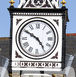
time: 4:50
